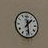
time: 1:28
